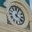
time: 4:03
